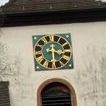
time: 3:29
